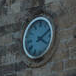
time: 4:10
